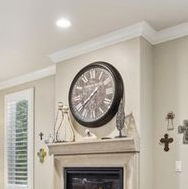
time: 7:37
